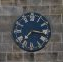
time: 7:16
